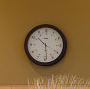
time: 10:28
